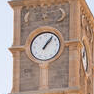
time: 1:06
